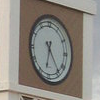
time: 6:23
